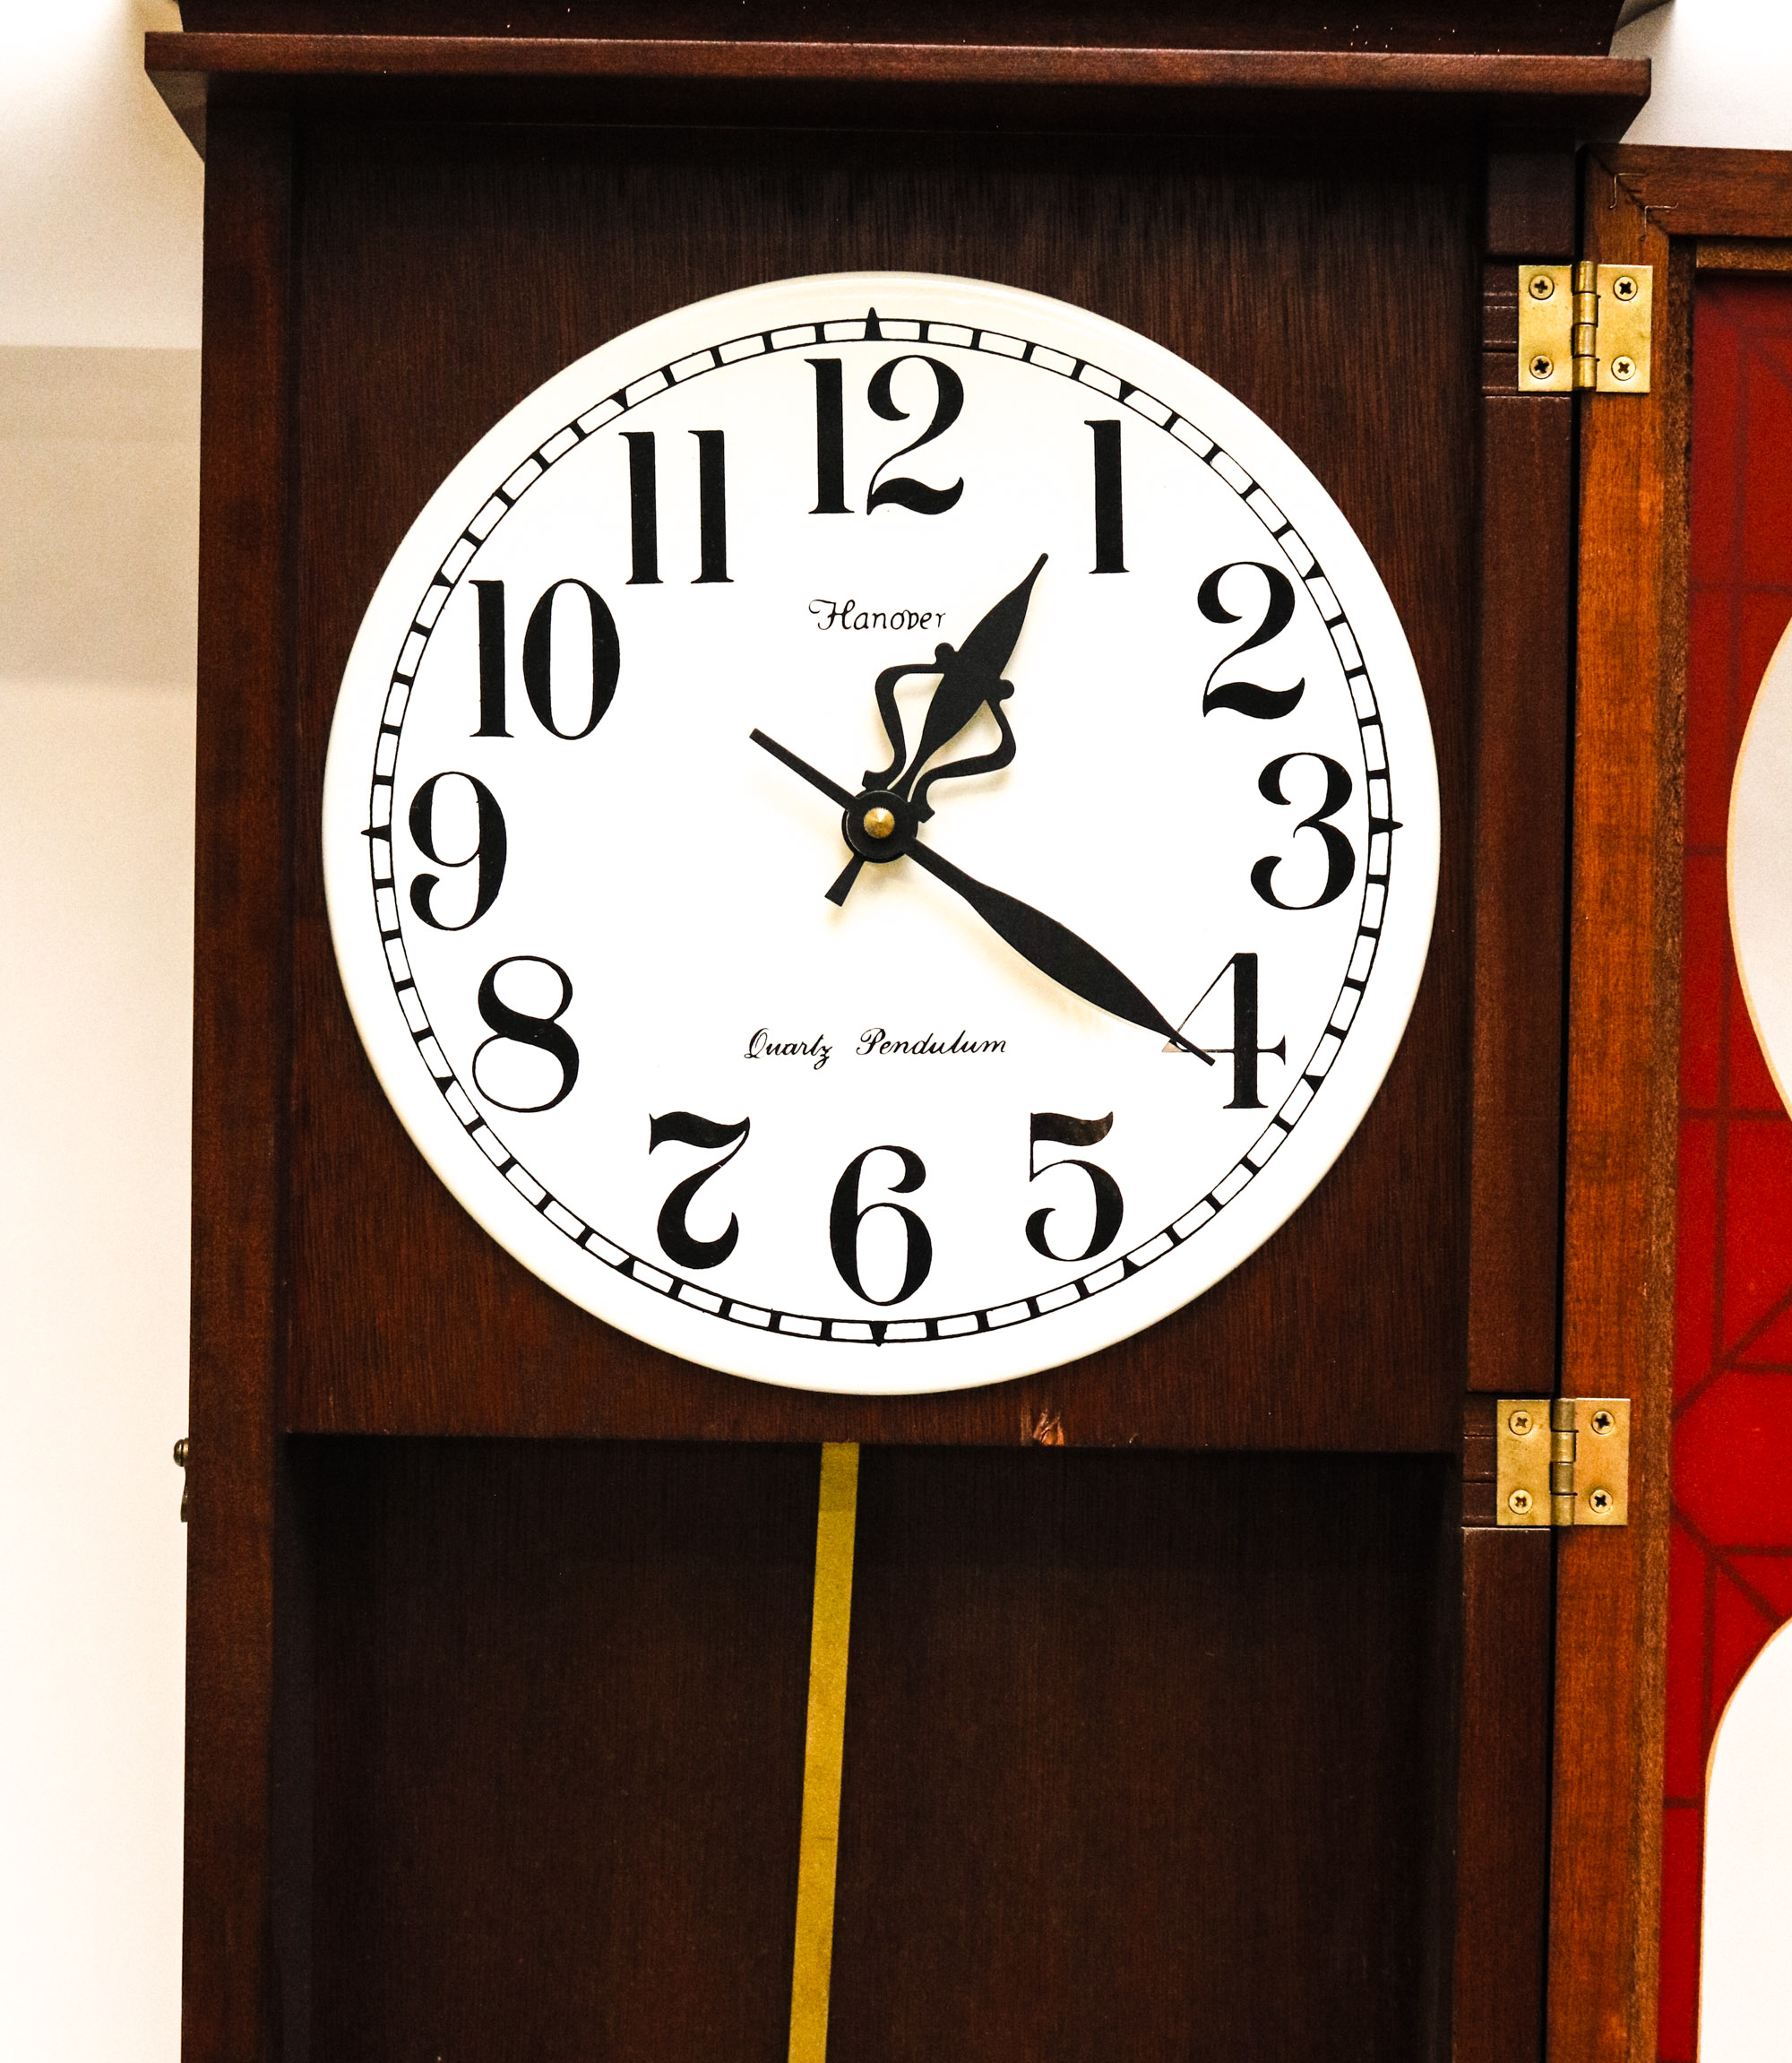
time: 1:20
